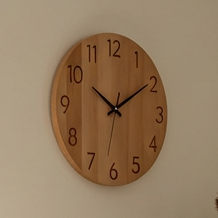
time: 10:09
